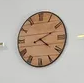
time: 4:11
